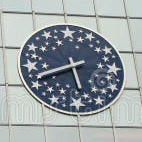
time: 5:41
